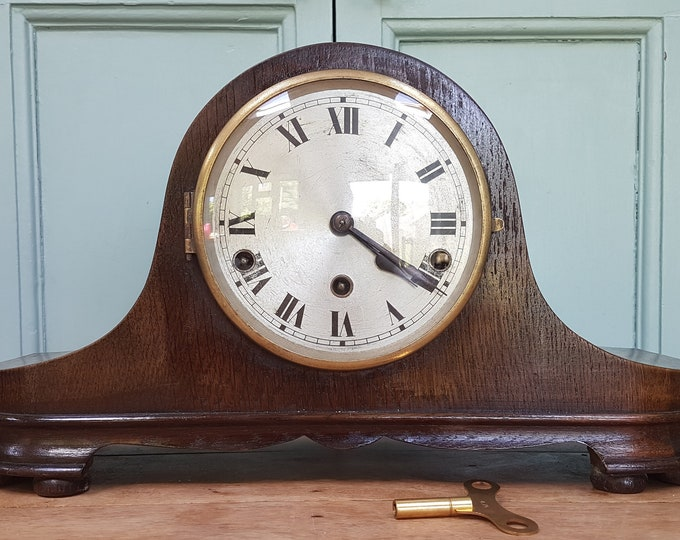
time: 4:21
